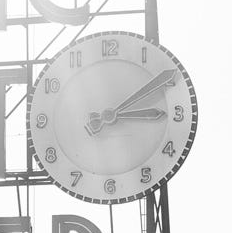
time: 3:09
